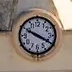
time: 3:49
